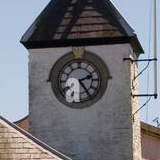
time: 2:24
